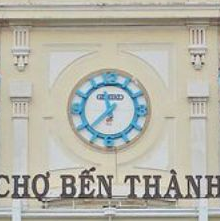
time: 11:37
